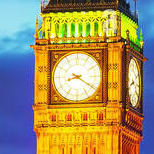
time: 8:20
